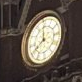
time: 8:00
